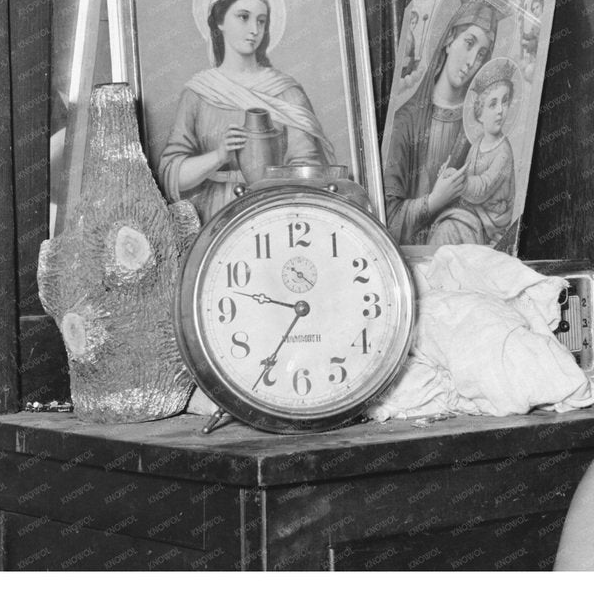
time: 9:35
